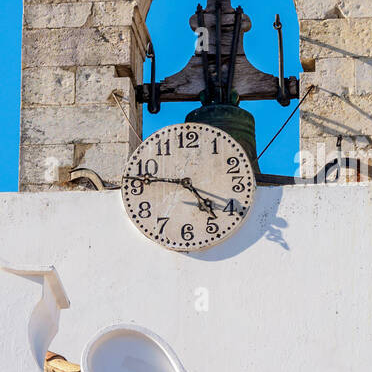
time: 4:46
